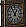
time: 12:55
